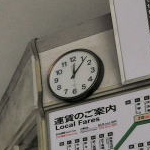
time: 12:06
